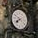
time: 7:49
